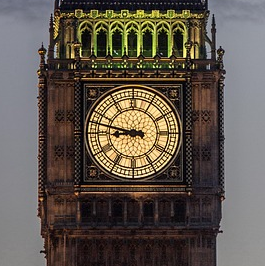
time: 8:47
